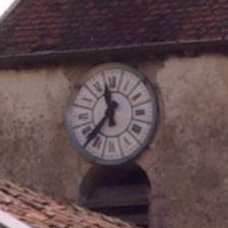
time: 11:36
